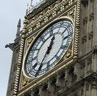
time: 12:34
